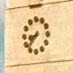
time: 8:37
